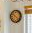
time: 10:22
